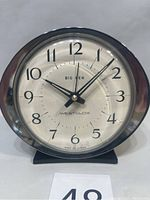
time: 10:07
